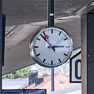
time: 2:53
